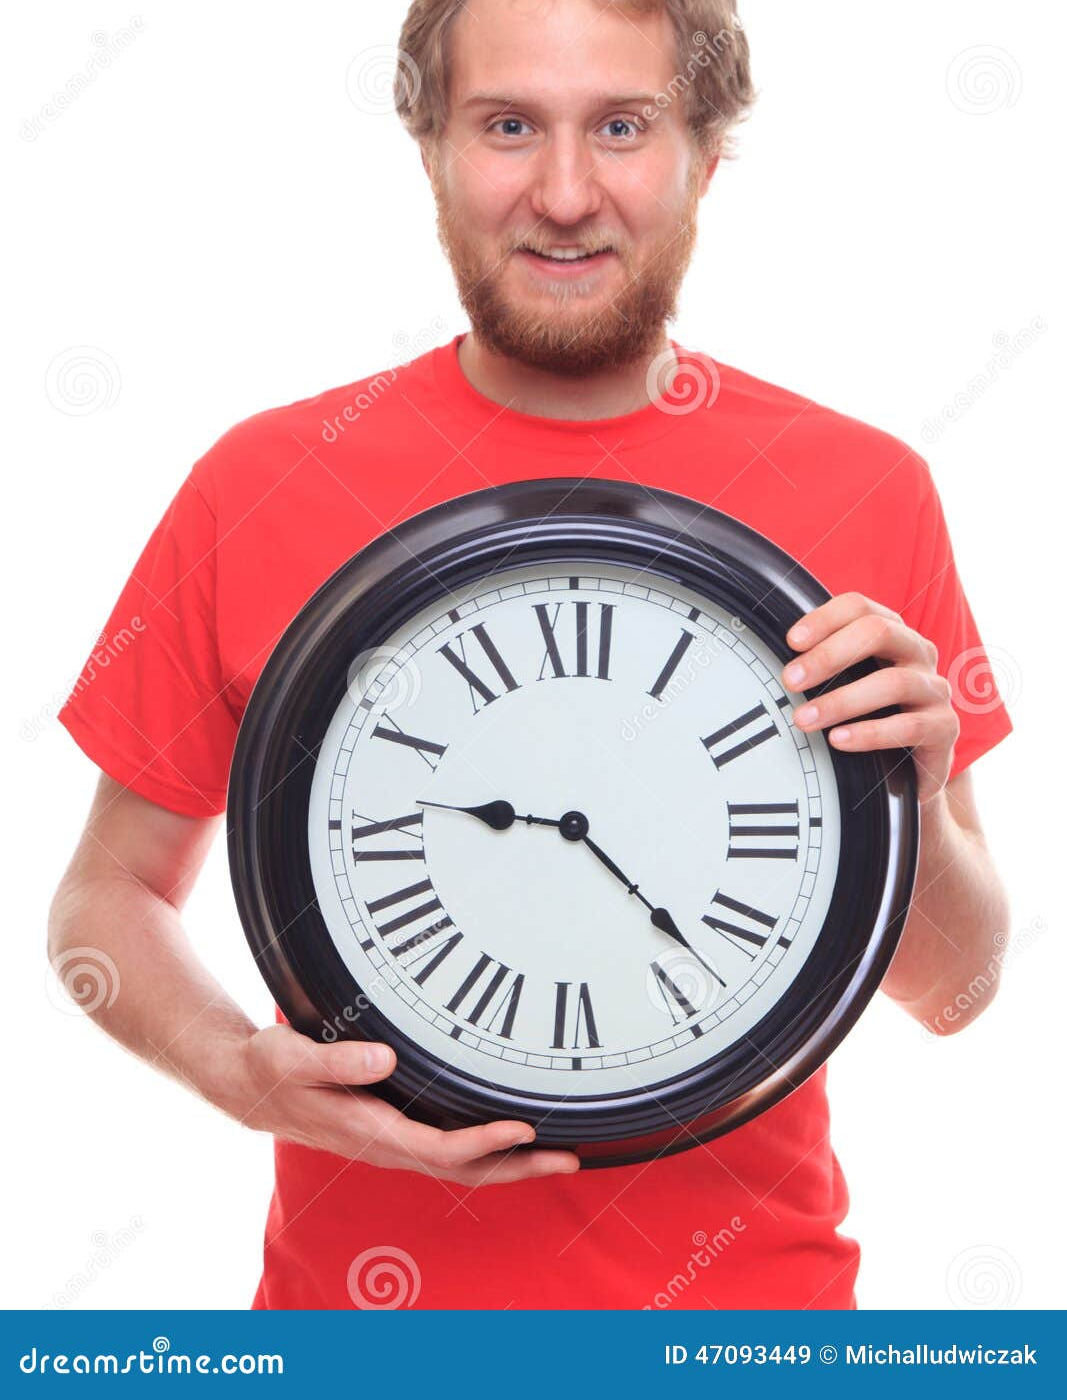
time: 9:22
